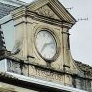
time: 7:11
